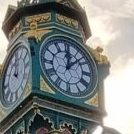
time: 12:07
